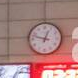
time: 12:47
